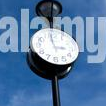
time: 2:58
